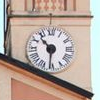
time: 10:31
